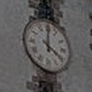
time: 4:00
